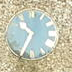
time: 10:34
